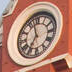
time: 6:57
